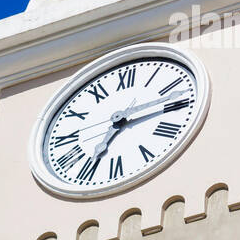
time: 2:34
